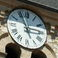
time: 2:56
